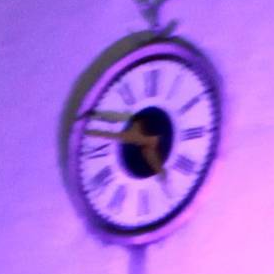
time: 4:47
